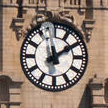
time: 12:09
